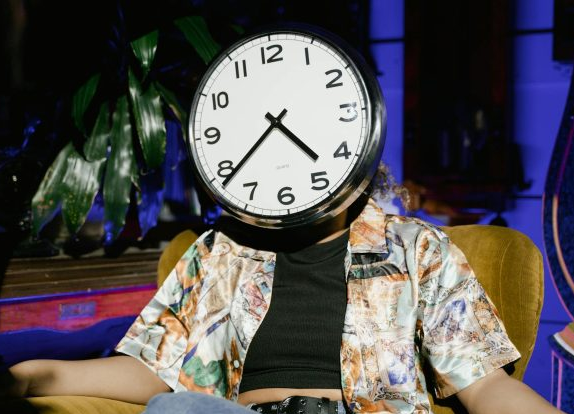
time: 4:38
